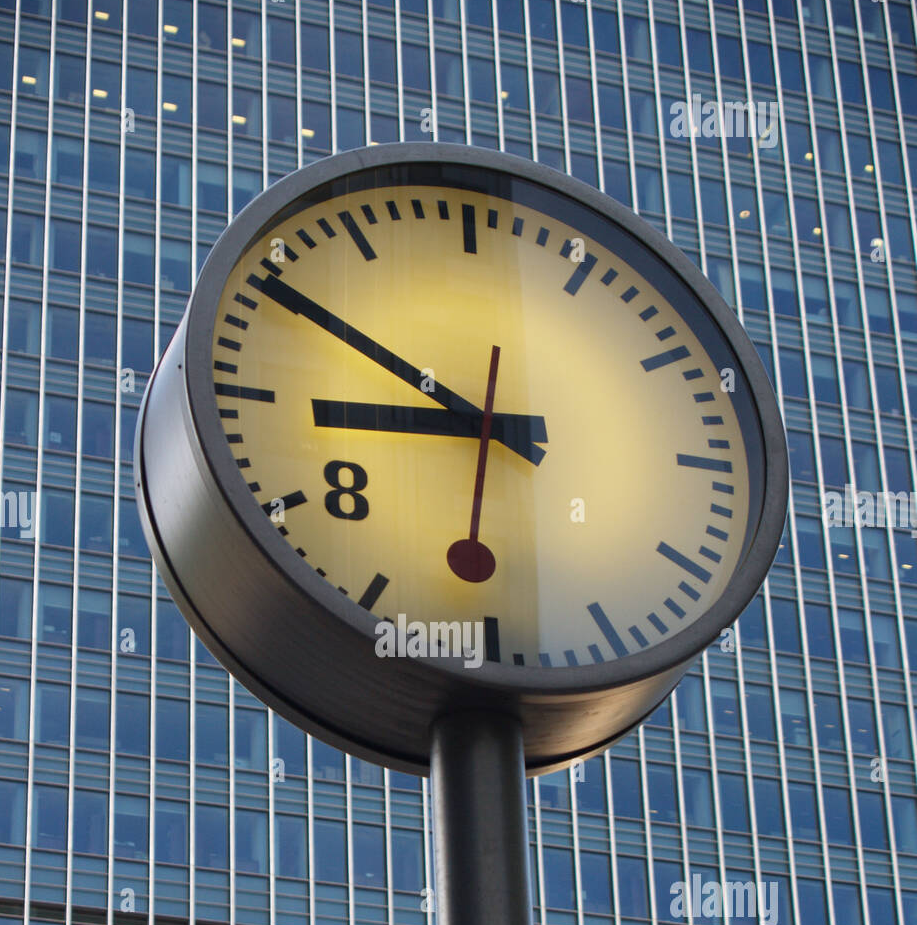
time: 8:50
